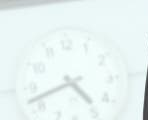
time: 4:42
